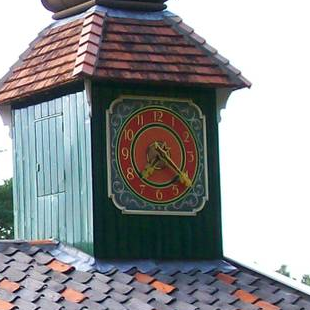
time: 7:21
